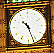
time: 10:26
